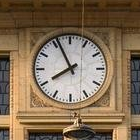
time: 7:55
